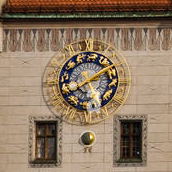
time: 1:39
